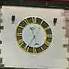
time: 11:35
